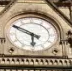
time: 5:49
